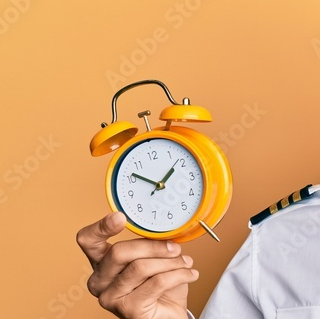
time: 1:51
